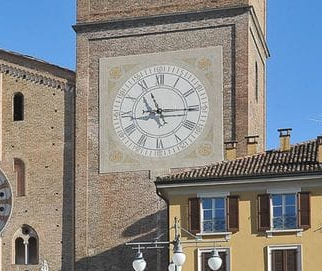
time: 11:14
